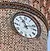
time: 11:11
